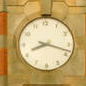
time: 8:18
